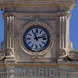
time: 11:12
